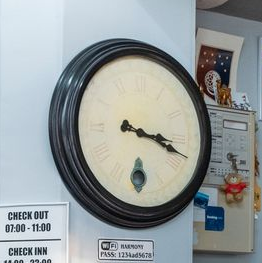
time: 3:18
